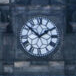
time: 1:51
